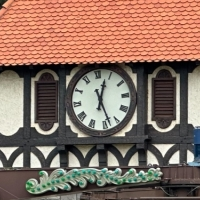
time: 12:28
